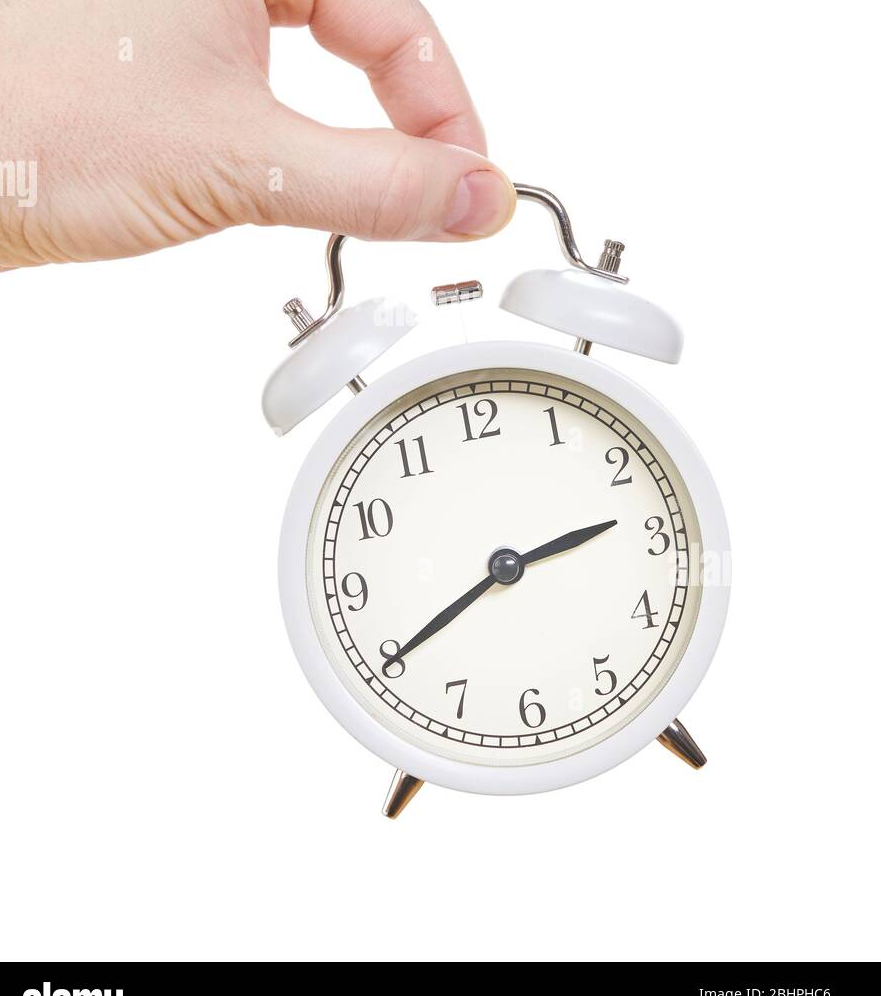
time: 2:40
